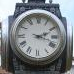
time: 2:18
